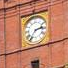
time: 2:36
